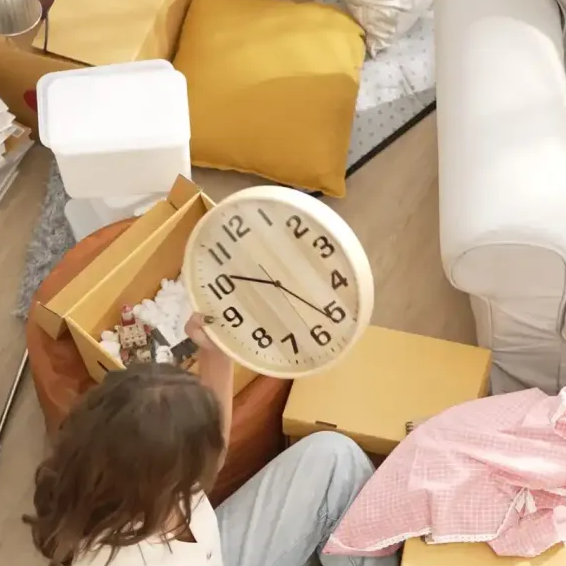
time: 9:21
